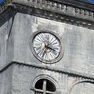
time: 3:34
